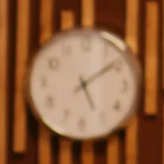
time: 5:08
